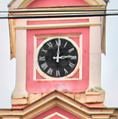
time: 3:00
